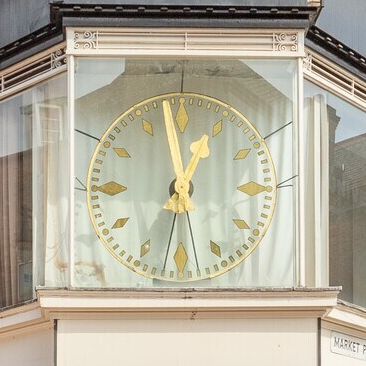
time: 12:58
